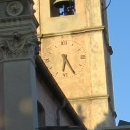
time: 6:25
